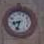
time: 8:33
